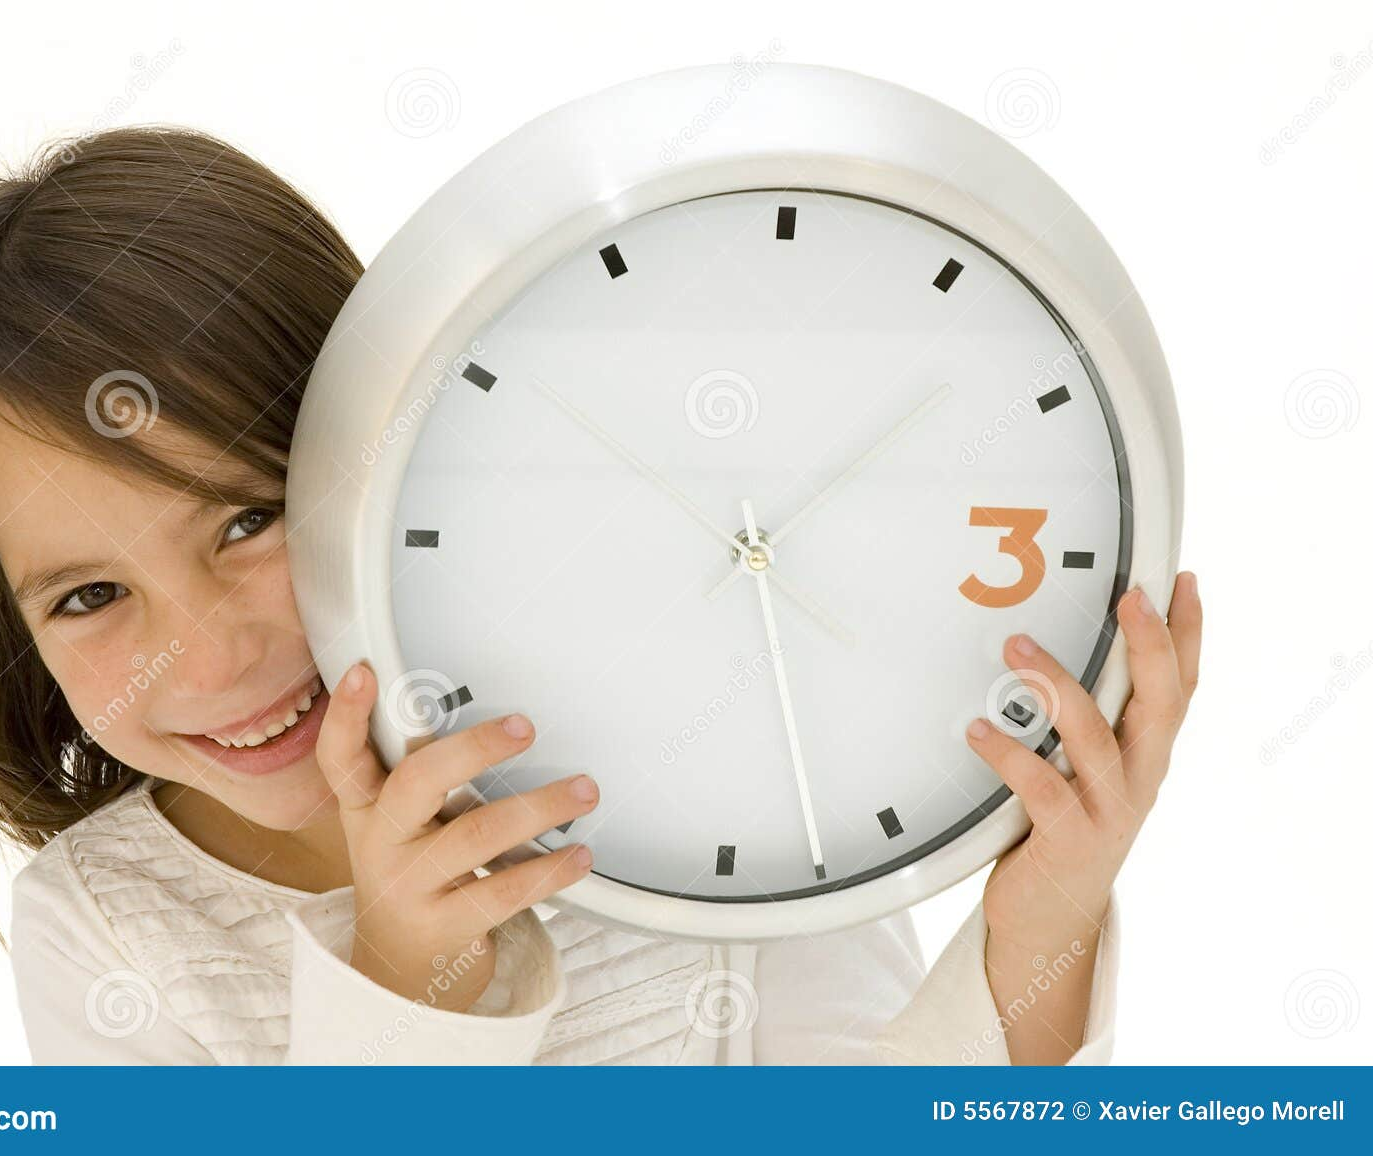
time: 1:27
